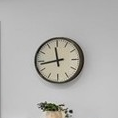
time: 11:43
